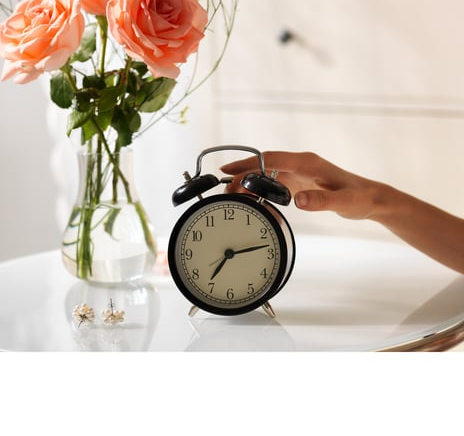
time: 7:13
